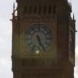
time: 5:26
